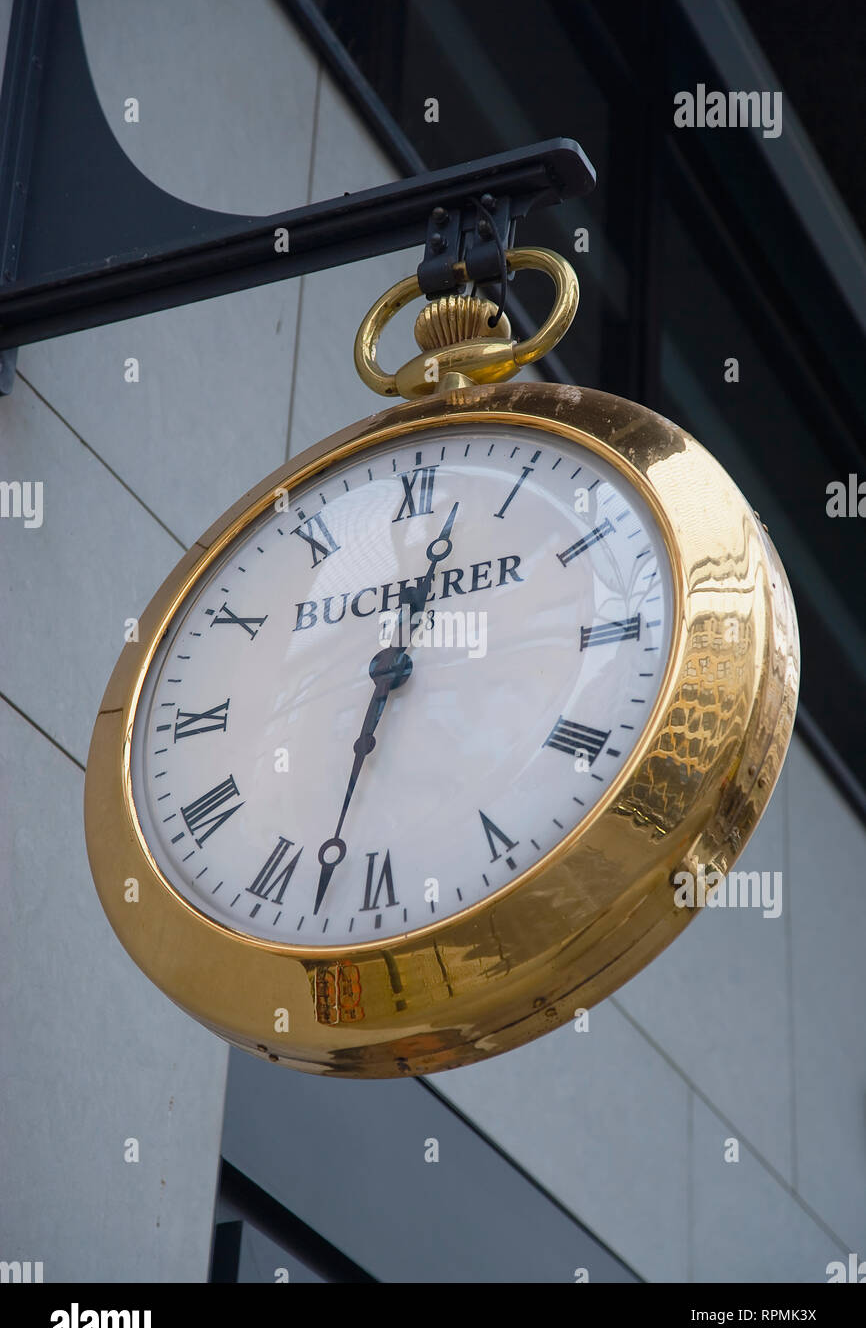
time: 12:32
